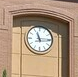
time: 11:14
